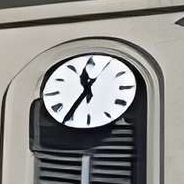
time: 11:35
